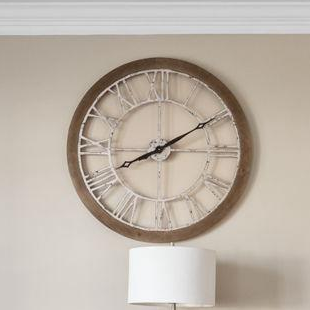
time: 8:09
